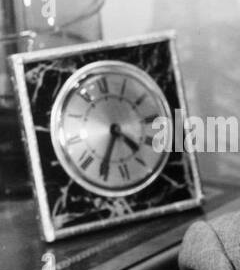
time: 4:35
